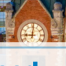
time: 9:01
